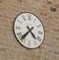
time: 4:37
